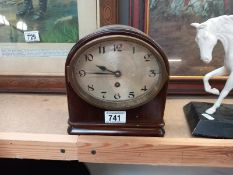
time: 9:45
